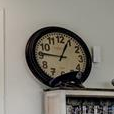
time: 12:46
